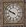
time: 9:50
